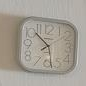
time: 7:52
